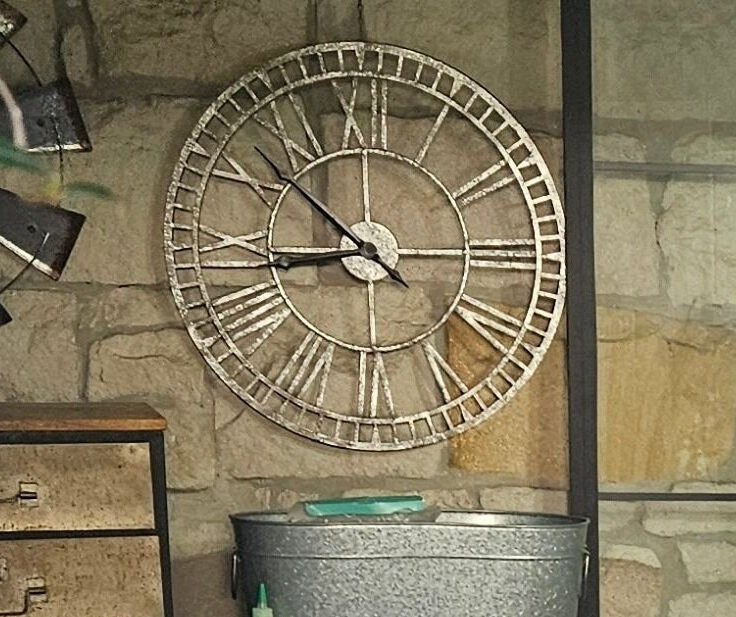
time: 8:52
